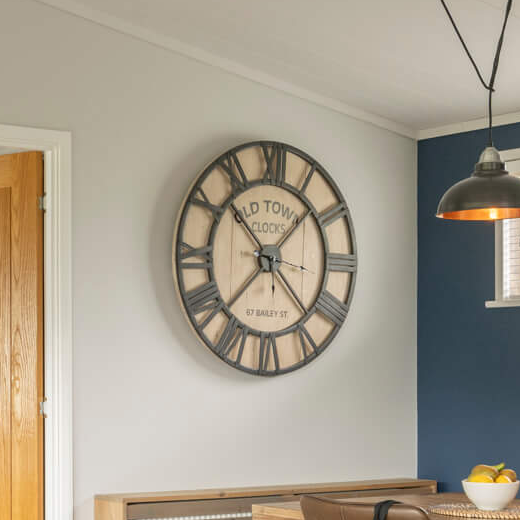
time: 1:37
